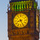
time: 8:25
